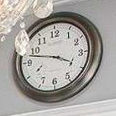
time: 3:47
